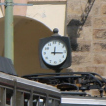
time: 12:16
